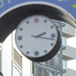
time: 2:17
